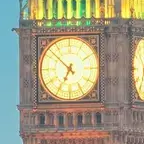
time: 6:52
